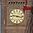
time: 9:17
